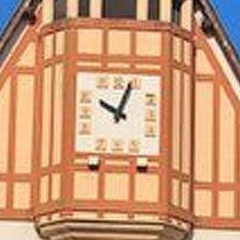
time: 10:03
